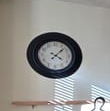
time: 4:07
